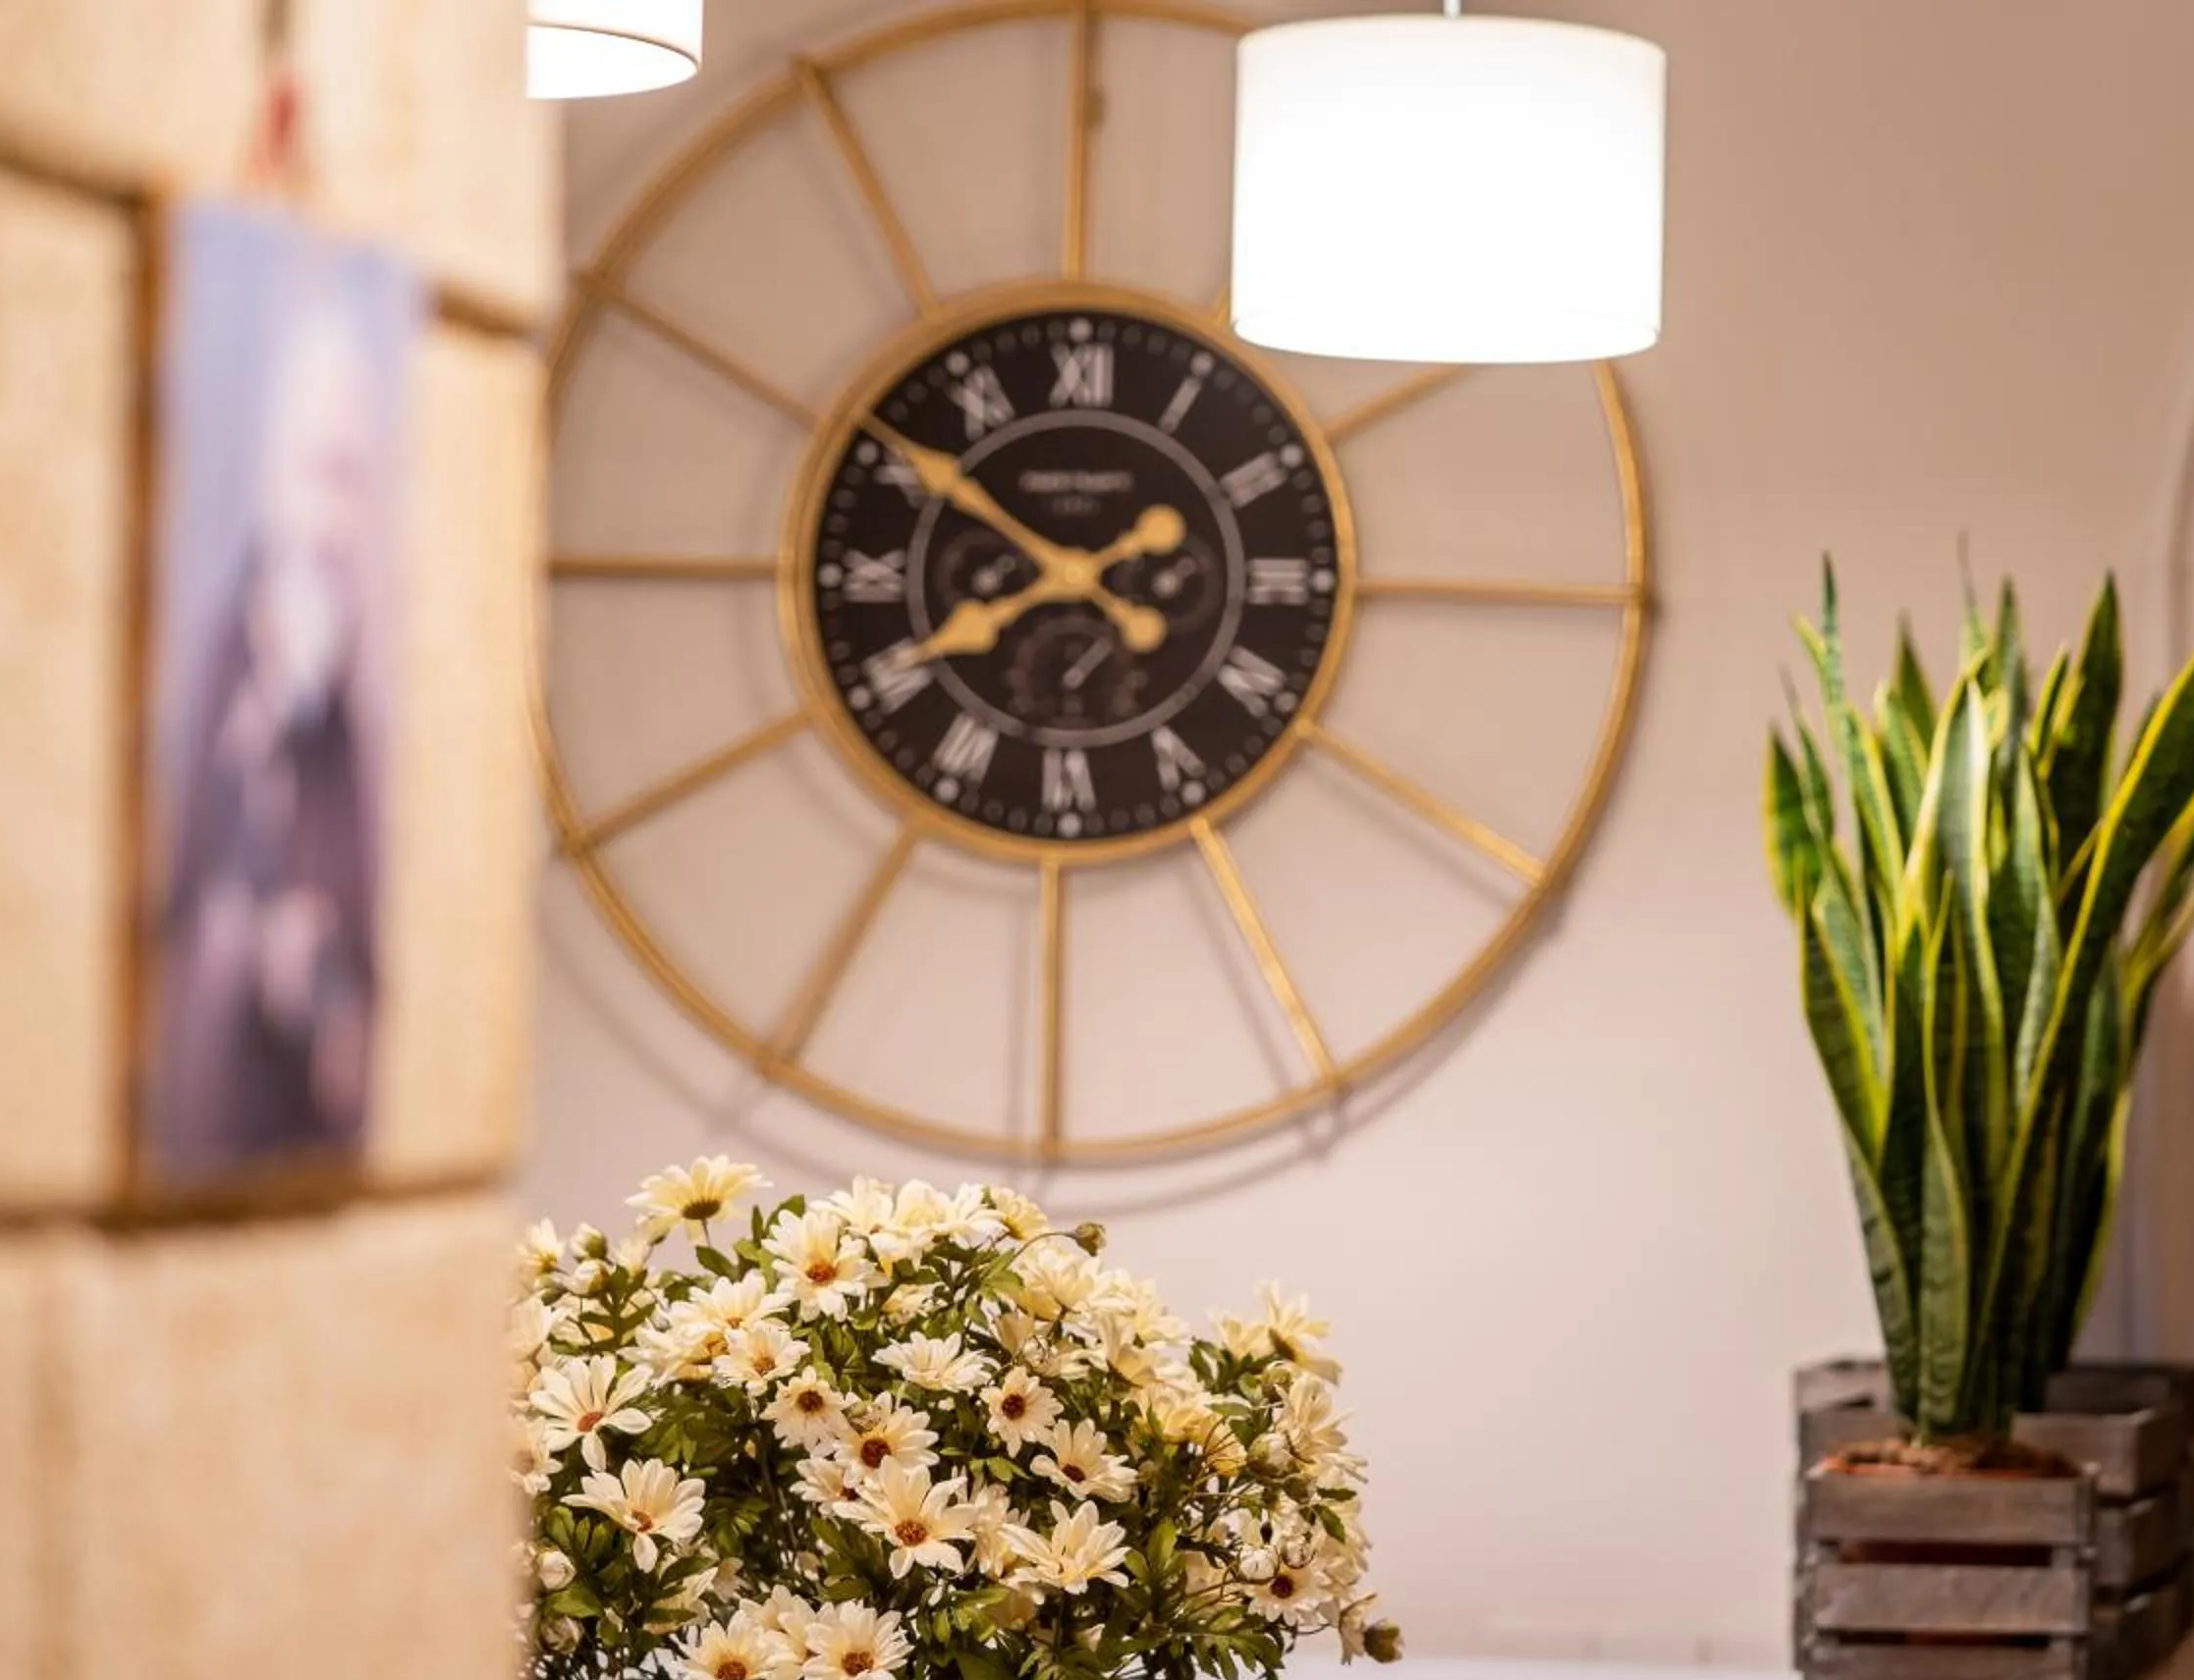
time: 7:50
